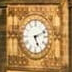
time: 5:11
